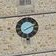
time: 8:11
